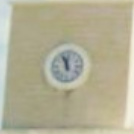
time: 11:56
